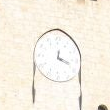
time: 12:18
